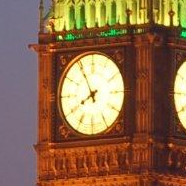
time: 7:55
